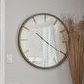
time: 10:20
